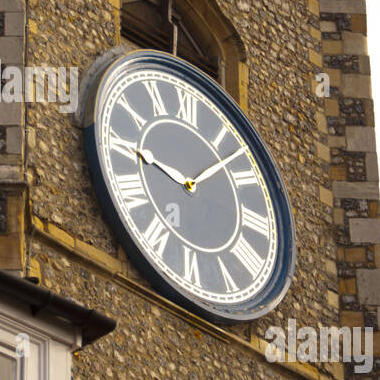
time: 9:07
